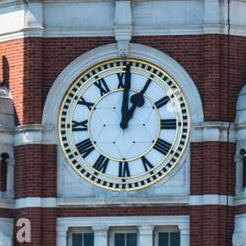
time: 1:00
